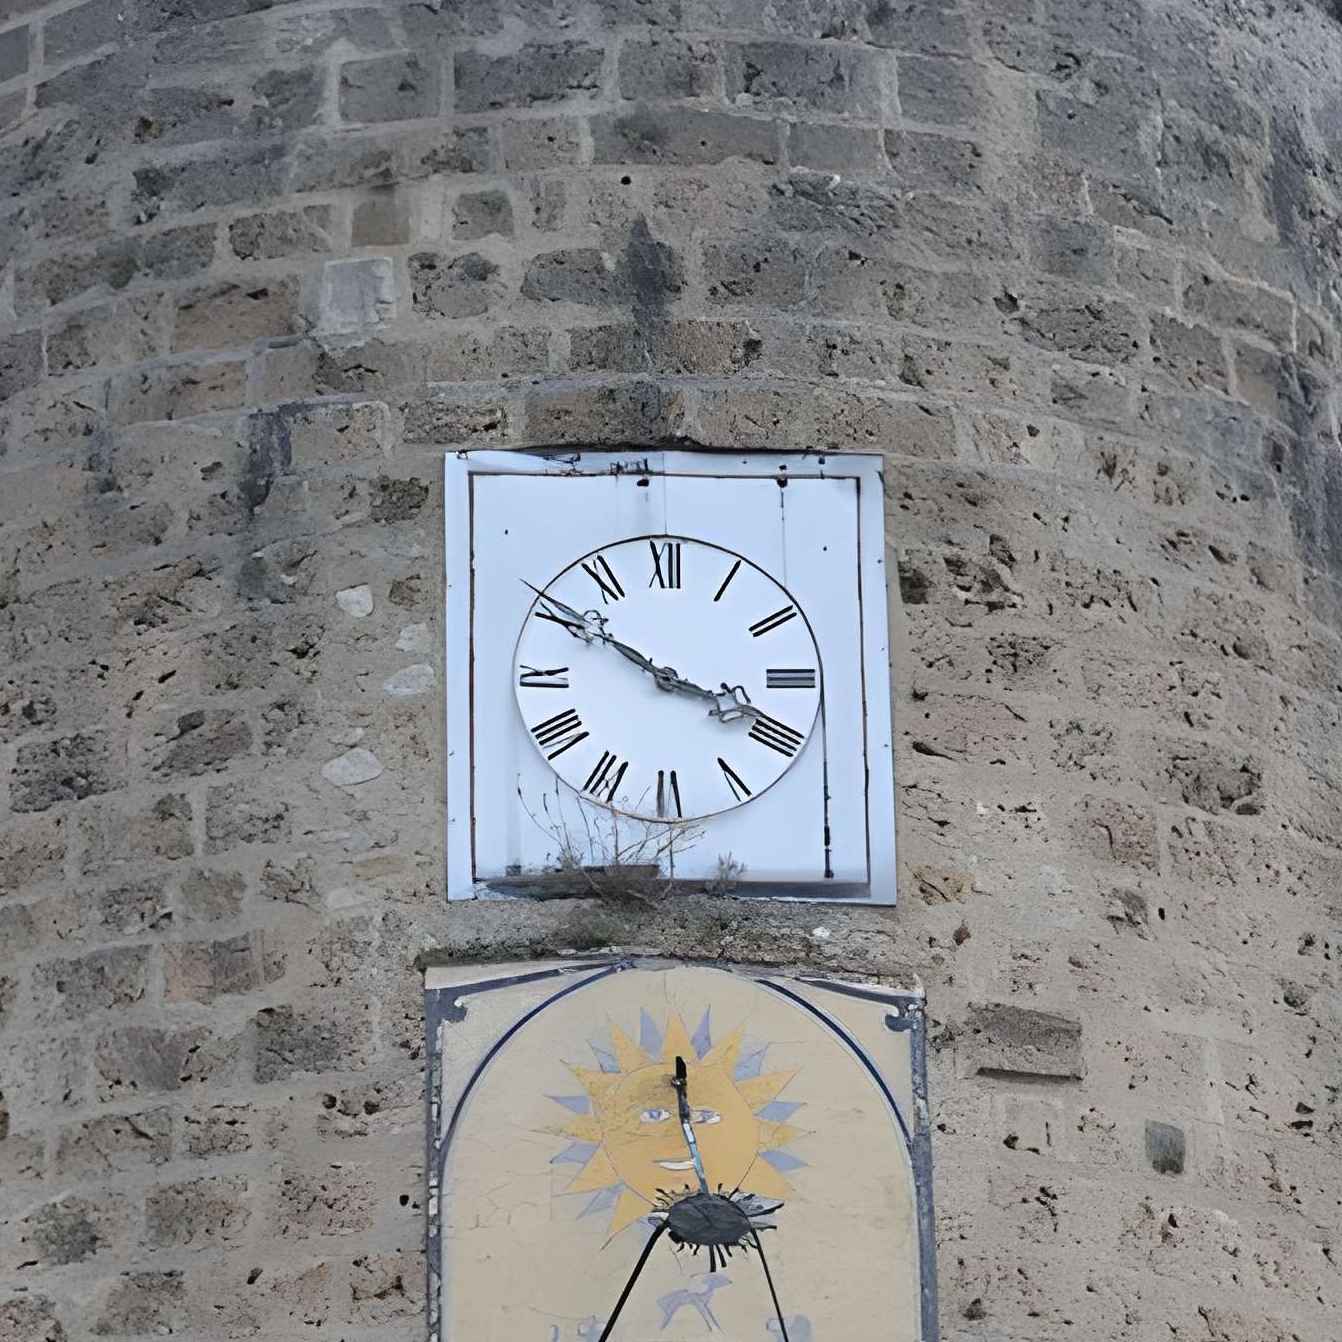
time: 3:50
